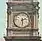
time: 2:29
